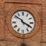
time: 3:51
